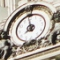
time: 7:58
